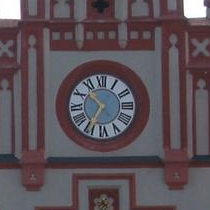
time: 10:35
